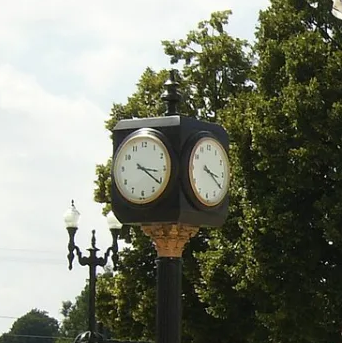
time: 3:21
